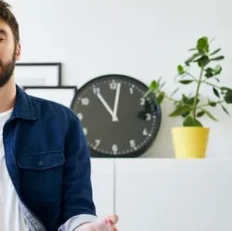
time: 11:01
